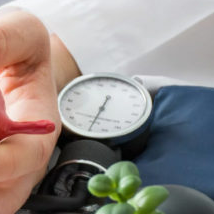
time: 12:33
